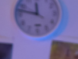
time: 11:47
